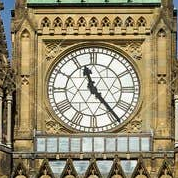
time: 11:23
